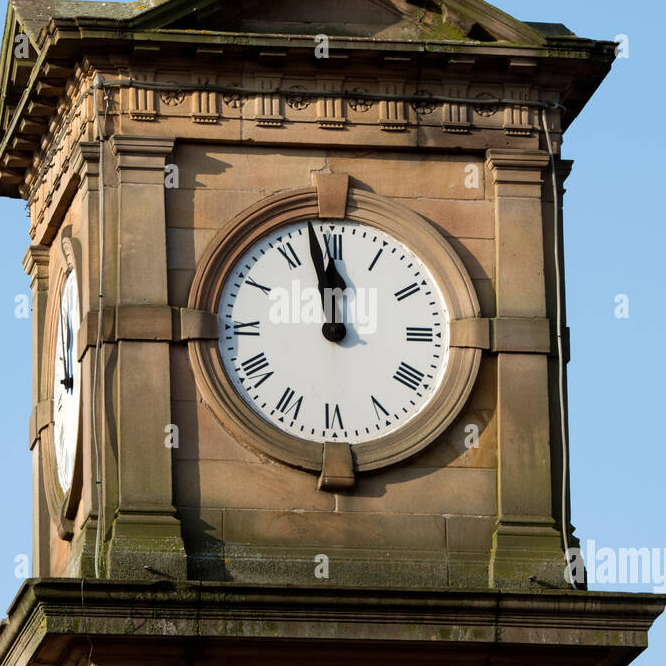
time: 11:57
